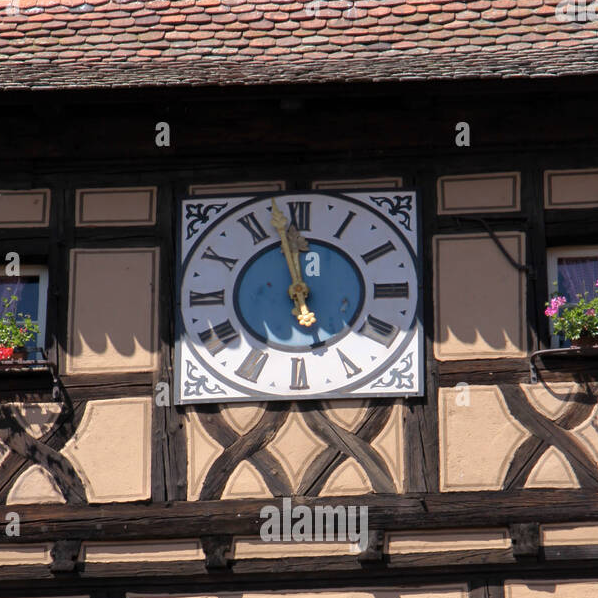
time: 11:58
